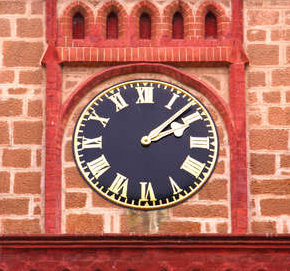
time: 2:08
